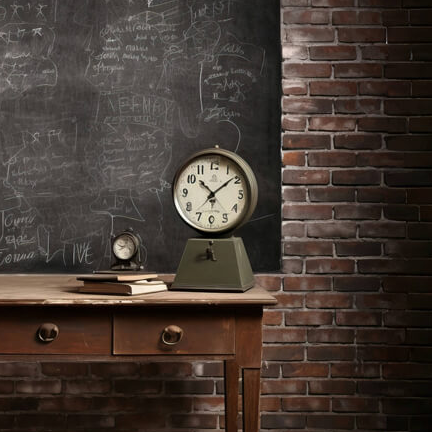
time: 10:08
